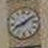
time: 8:09
